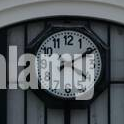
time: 4:09
